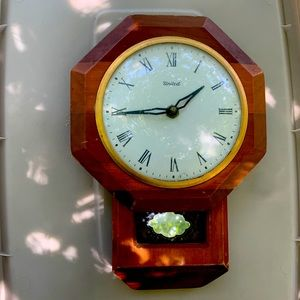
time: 1:44
